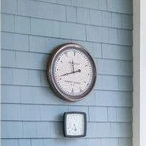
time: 11:41
